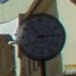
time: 2:53
